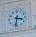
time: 3:32
